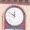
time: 11:50
